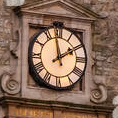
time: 1:58
